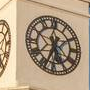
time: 5:33
